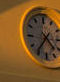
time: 4:36
